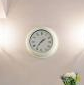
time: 1:36
